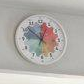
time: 12:51
